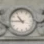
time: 10:45
